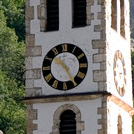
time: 10:25
